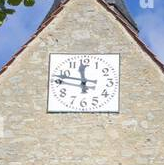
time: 11:47
